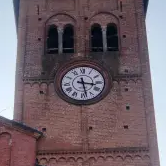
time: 3:28
